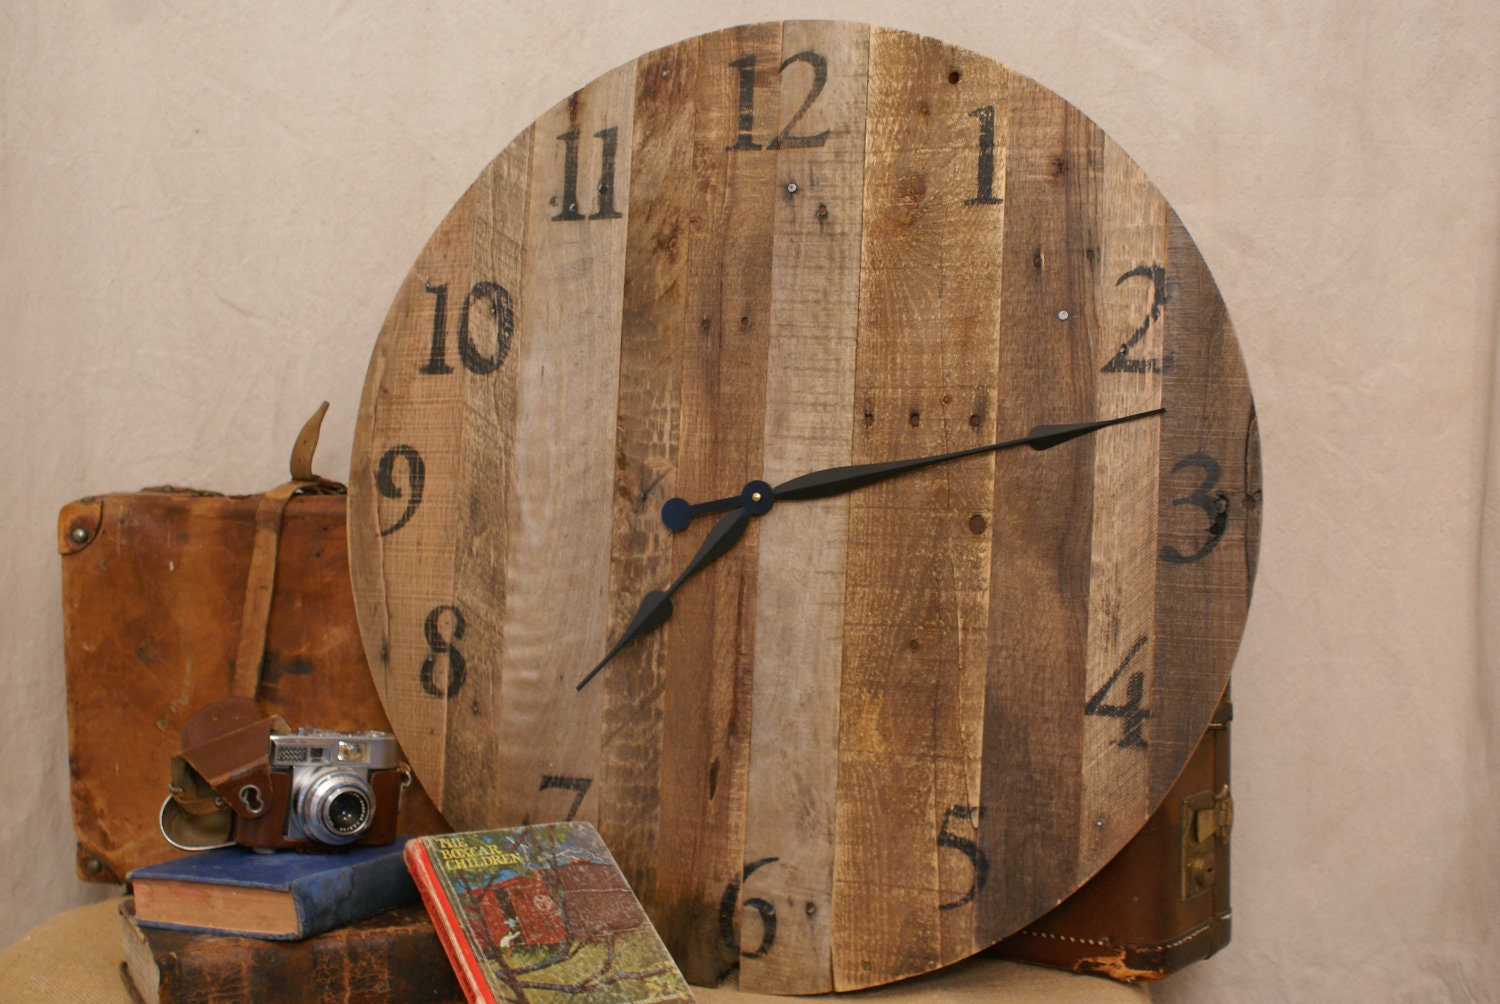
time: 7:12
